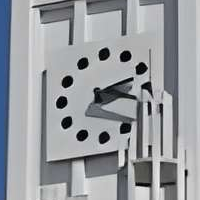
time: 2:18
